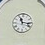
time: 11:16
